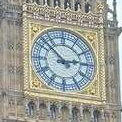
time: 2:52
